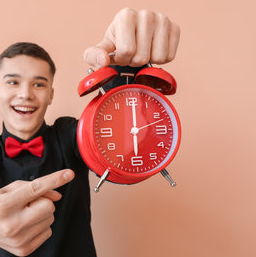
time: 6:00
